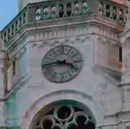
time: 3:43
